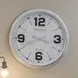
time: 3:40
